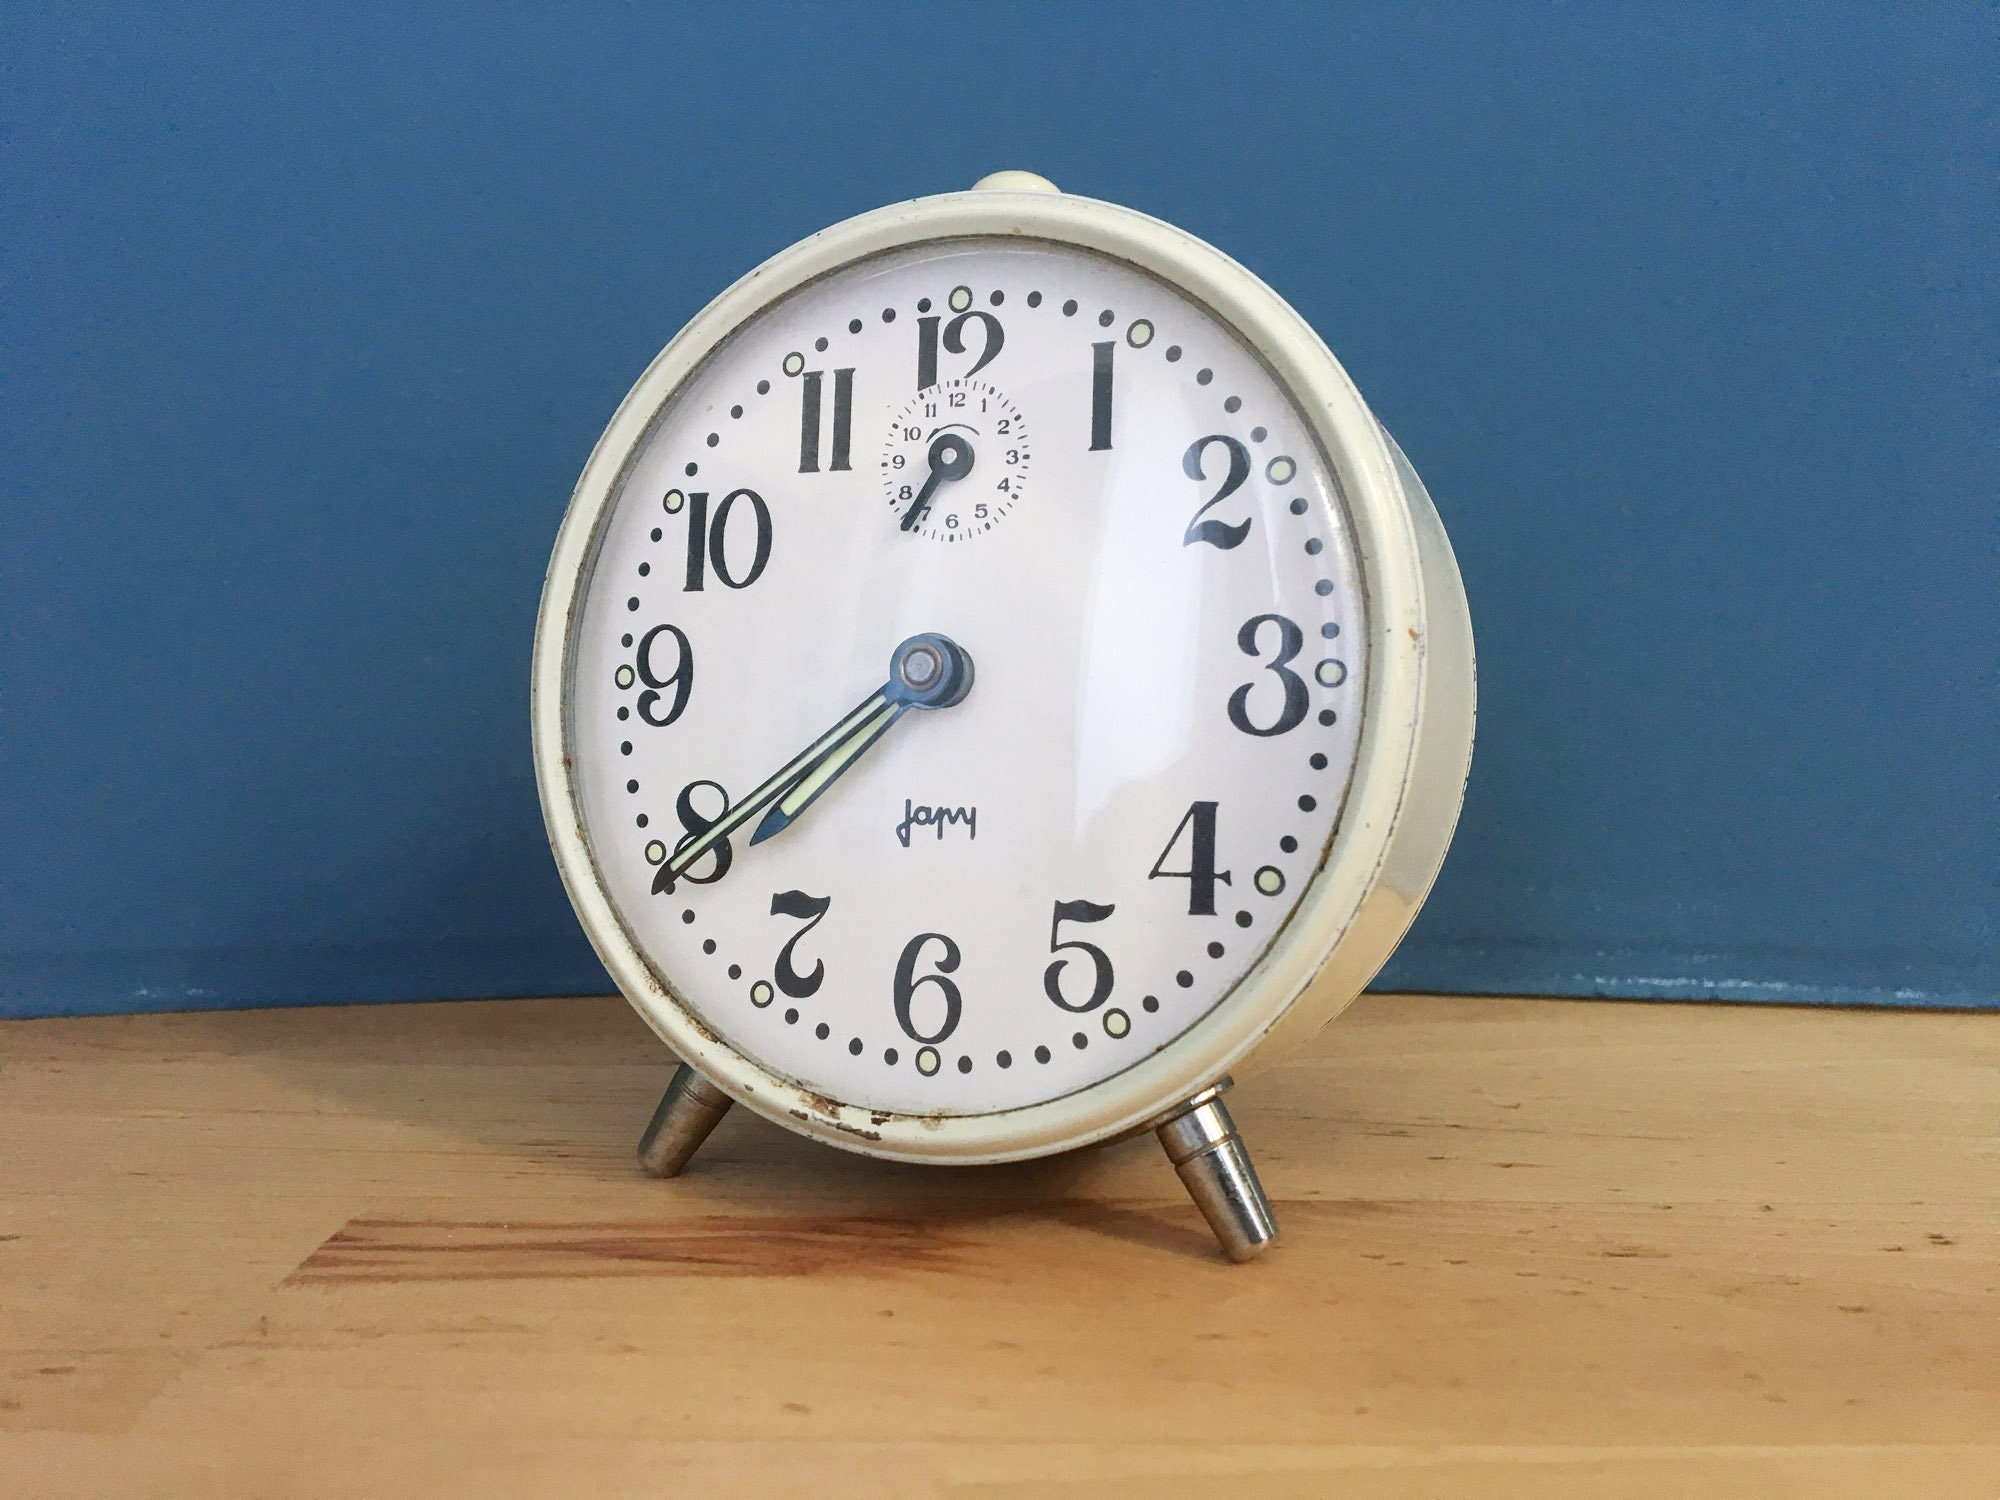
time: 7:39
